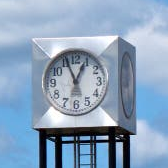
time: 12:56
